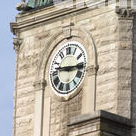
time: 9:15
